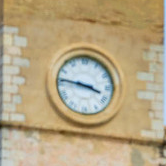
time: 3:46
